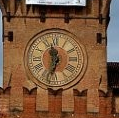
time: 11:32
